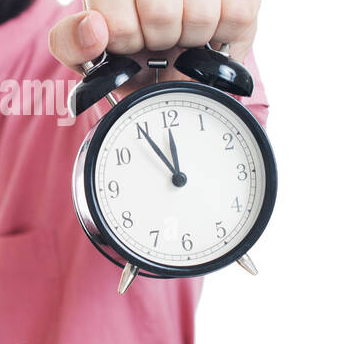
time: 11:54
